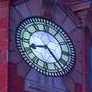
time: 8:23
